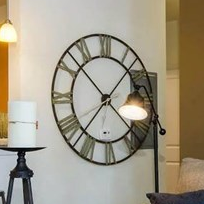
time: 1:36
